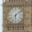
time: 6:08
